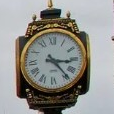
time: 3:23
